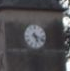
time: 5:18
